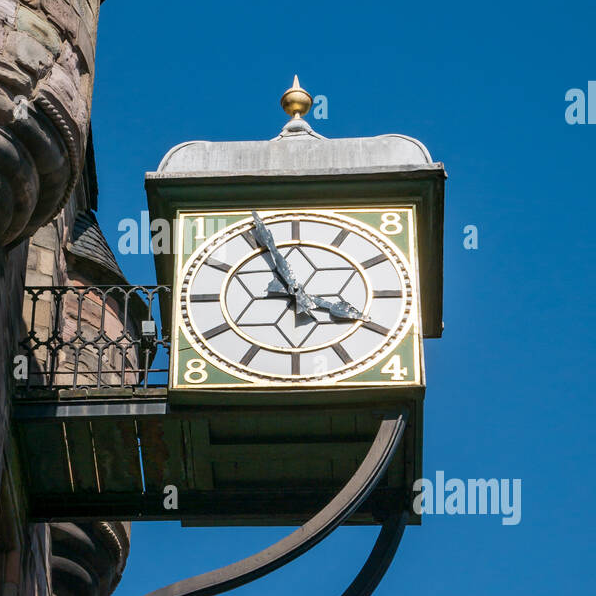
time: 3:56
